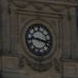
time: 9:17
